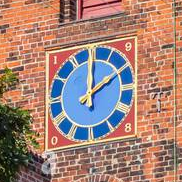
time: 2:00
